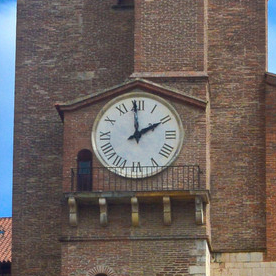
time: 1:59
